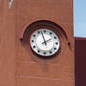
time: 1:57
